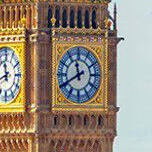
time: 11:40
